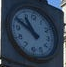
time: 10:49
